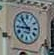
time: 8:52
